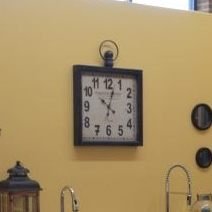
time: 10:02
